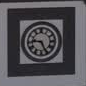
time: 9:25
